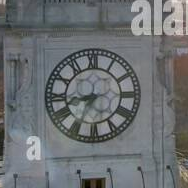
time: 8:34
